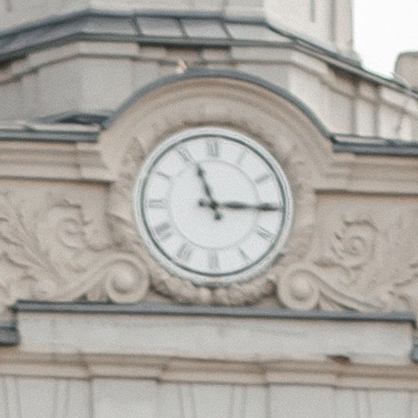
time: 11:15
